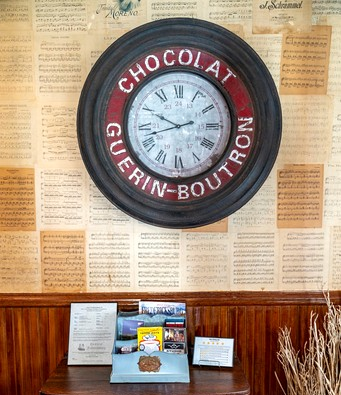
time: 9:42
